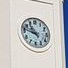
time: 10:47
